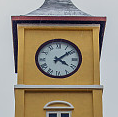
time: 4:08
